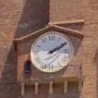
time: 2:09
